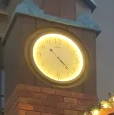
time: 4:22
